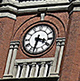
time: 3:32
